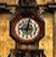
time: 9:01
